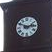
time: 2:50
